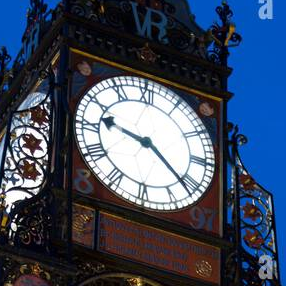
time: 9:21
